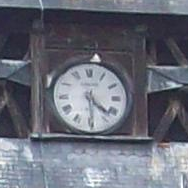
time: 4:29
